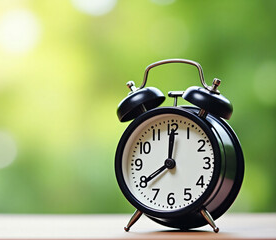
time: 8:00
